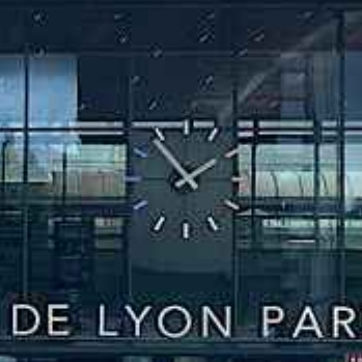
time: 1:53
